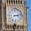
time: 3:12
